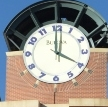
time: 4:00
